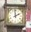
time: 1:59
